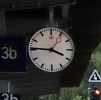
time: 3:45
